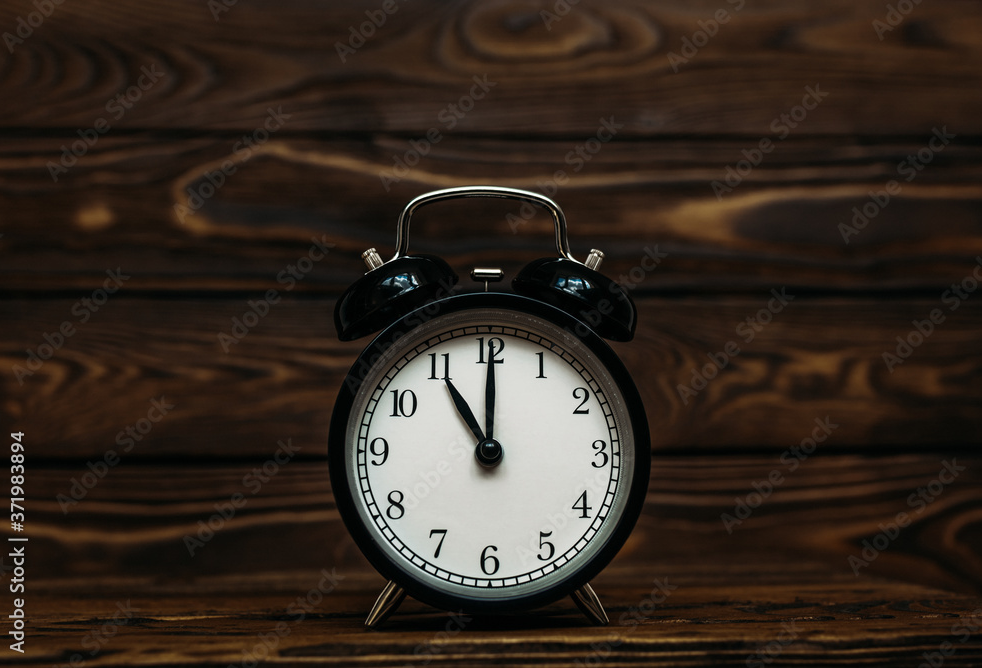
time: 11:00
